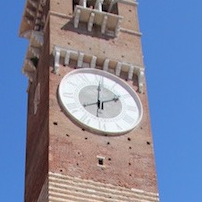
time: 2:01
